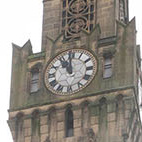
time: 10:59
